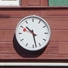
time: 10:28
